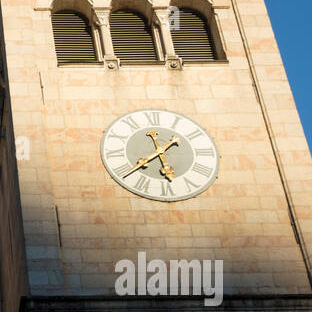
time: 5:38
